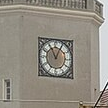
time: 11:04
